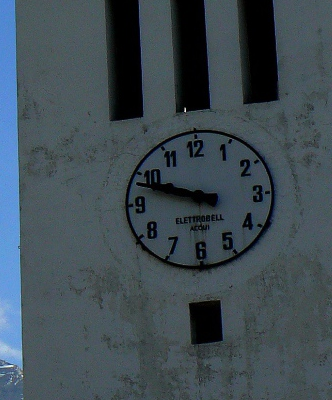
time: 9:48
